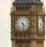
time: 4:29
